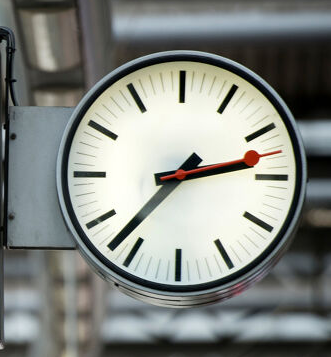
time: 2:36
